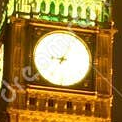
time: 9:04
